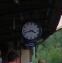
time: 3:42
